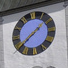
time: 1:38
